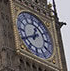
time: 12:40
